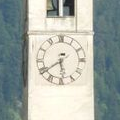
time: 5:39
